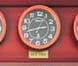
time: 2:42
